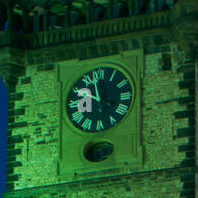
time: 9:57
